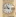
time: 10:46
